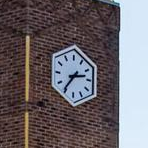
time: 2:36
